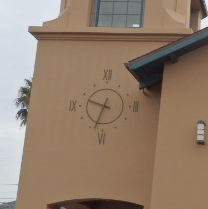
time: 9:33
